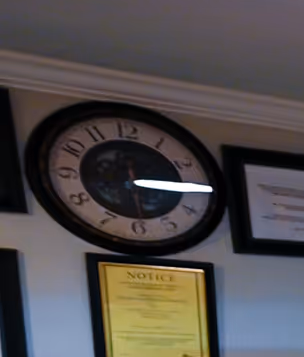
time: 3:14
